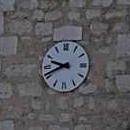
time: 9:41
